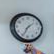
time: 1:34
